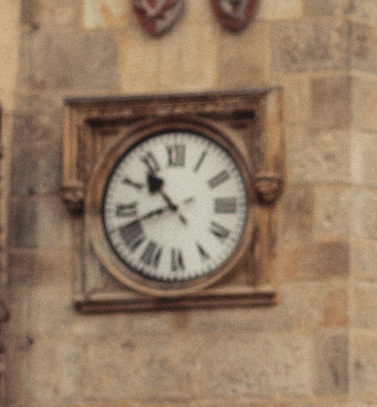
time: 10:41
